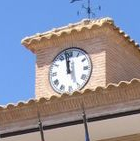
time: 11:58
